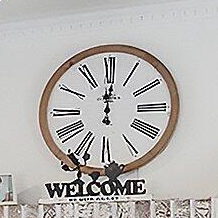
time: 12:00
